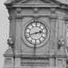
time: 2:42
